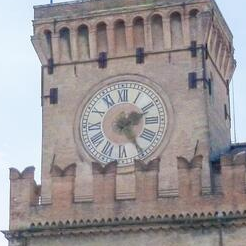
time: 2:24
